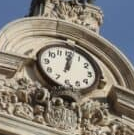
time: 12:01
